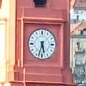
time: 5:33
